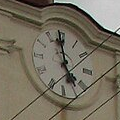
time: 4:59
